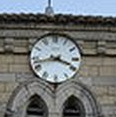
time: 3:42
